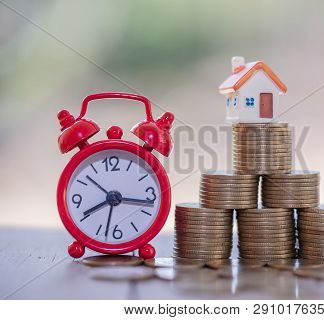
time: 8:16
